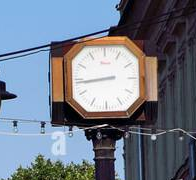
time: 8:43
